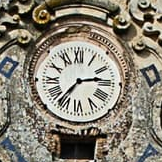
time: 2:36
